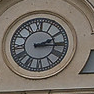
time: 2:15
